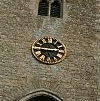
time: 2:45
